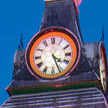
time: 4:26
